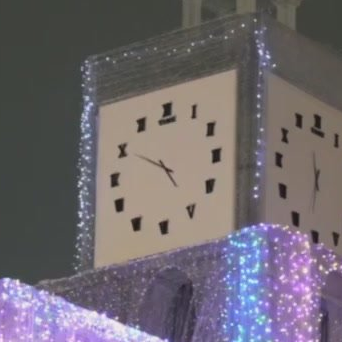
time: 4:49
